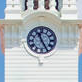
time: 11:25
